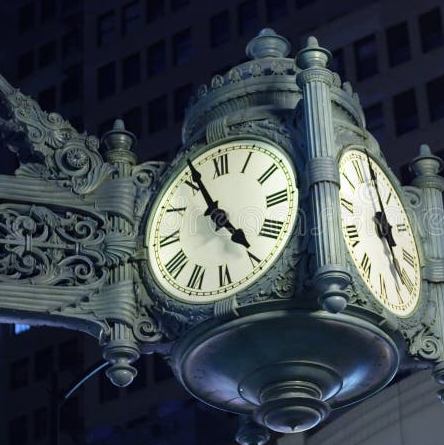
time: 4:55
